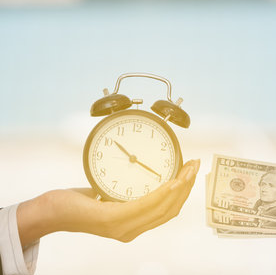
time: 10:19
